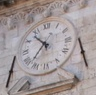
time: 10:37
